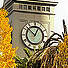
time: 12:52
